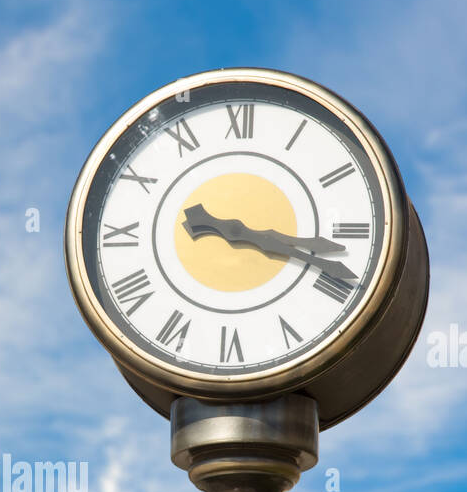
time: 3:18
